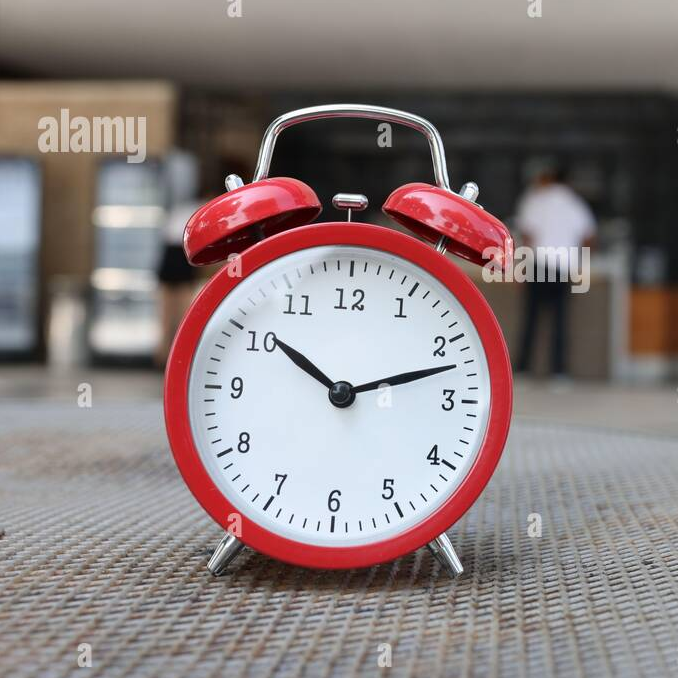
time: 10:12
